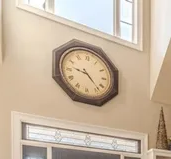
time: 9:22
